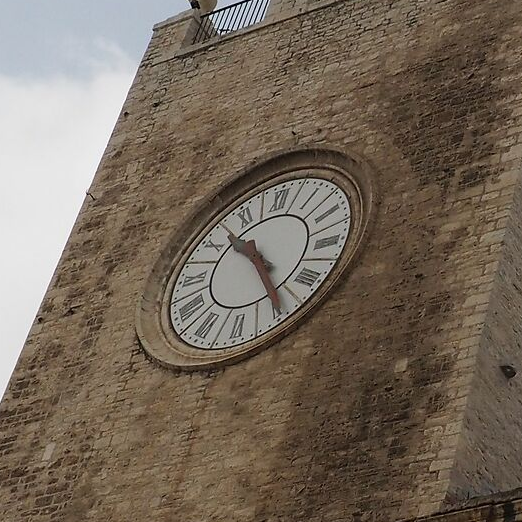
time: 10:24
